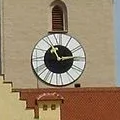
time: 11:13
